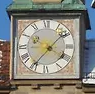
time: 1:36
